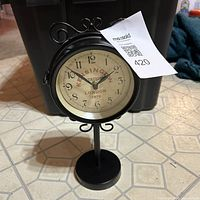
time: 1:51
